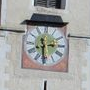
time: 2:29
